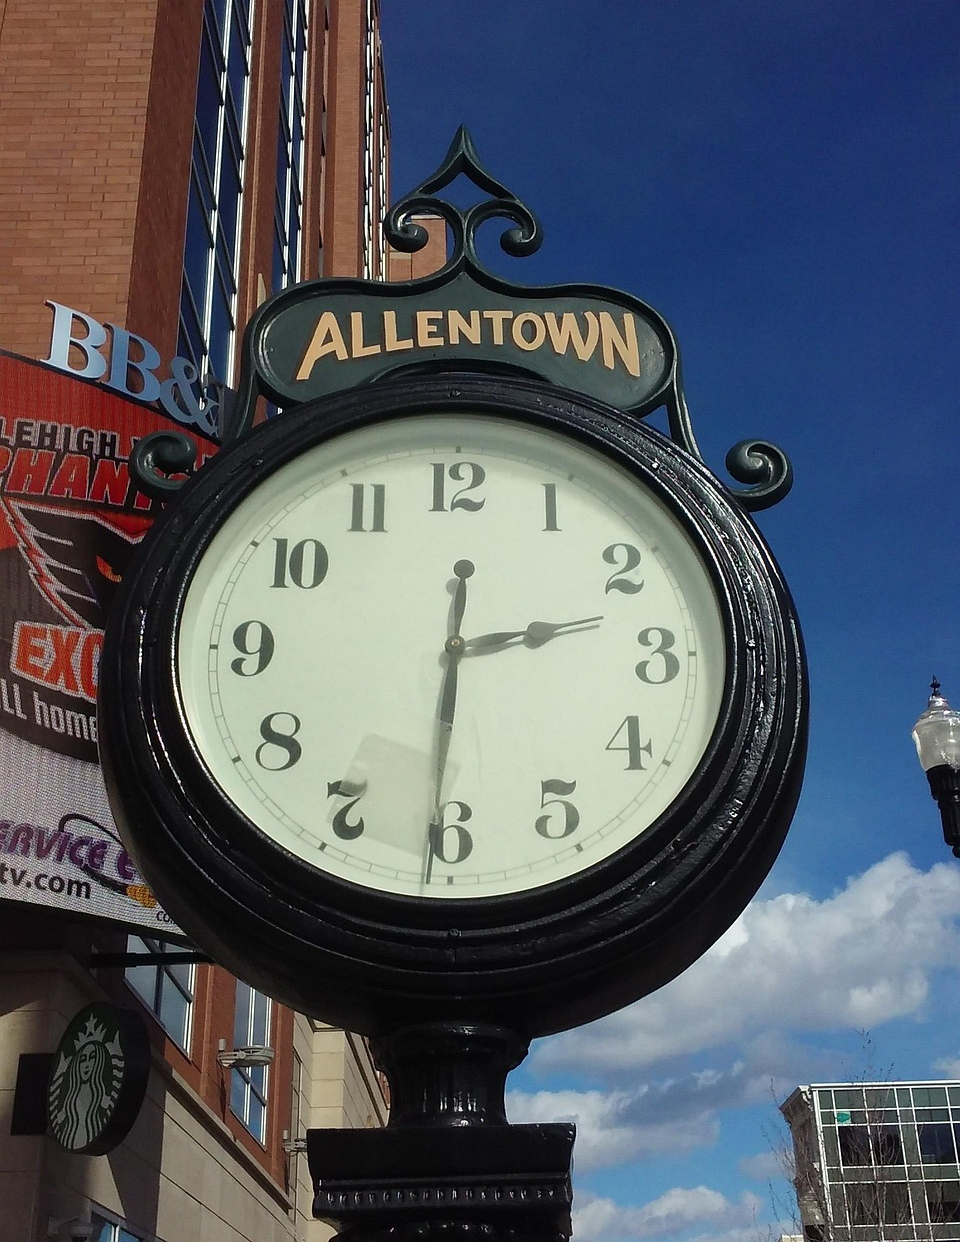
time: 2:30
